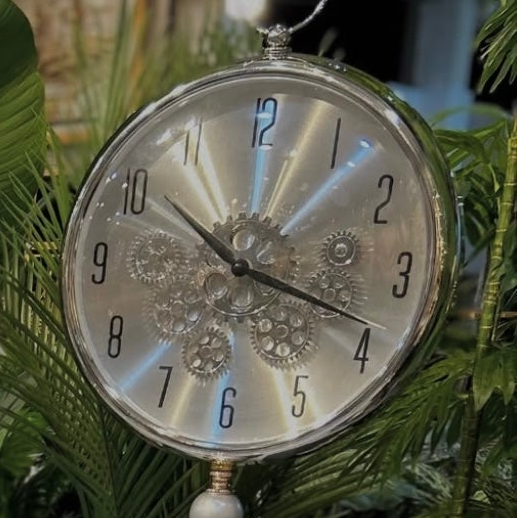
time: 10:18
